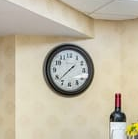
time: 1:37
